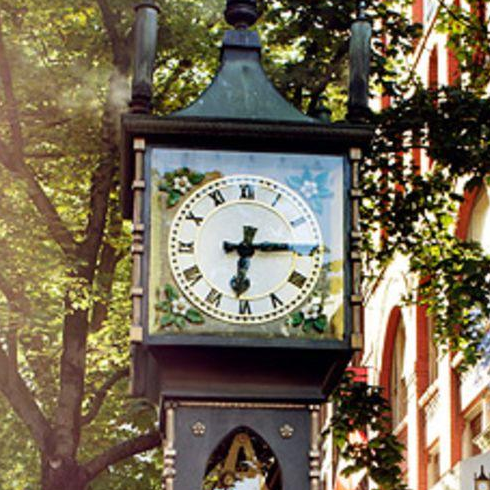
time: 6:14
